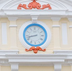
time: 8:42
